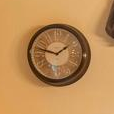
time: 1:47
